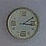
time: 3:09
